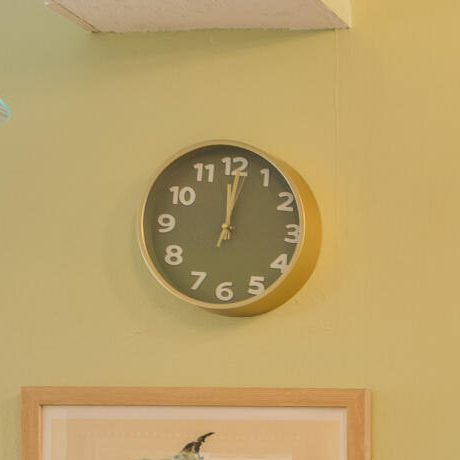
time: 12:01
